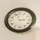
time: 2:56
